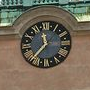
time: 11:35
